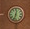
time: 12:33
